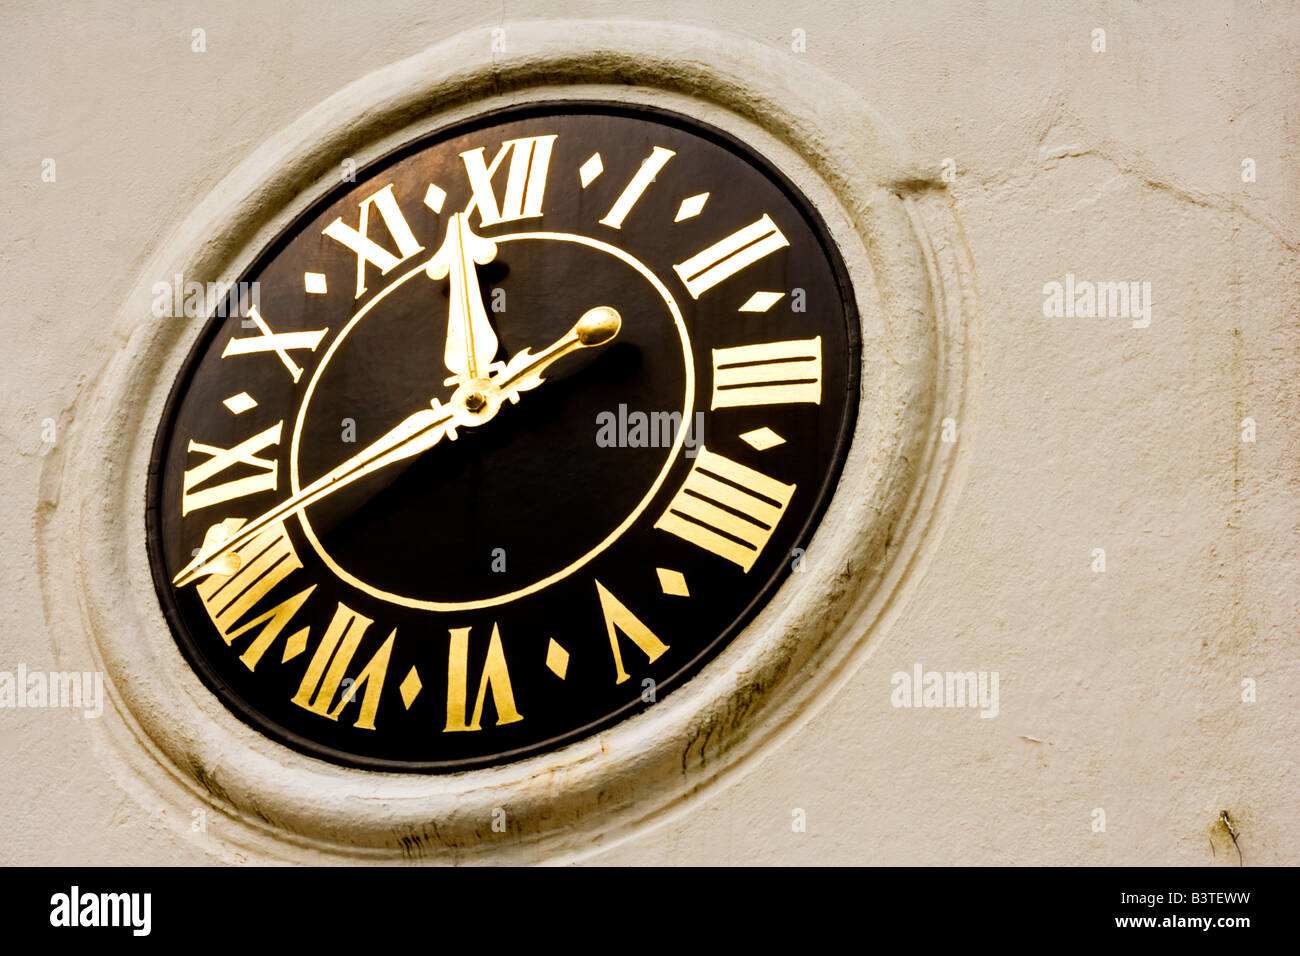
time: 11:41
